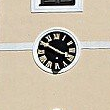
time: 3:50
